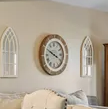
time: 3:49
